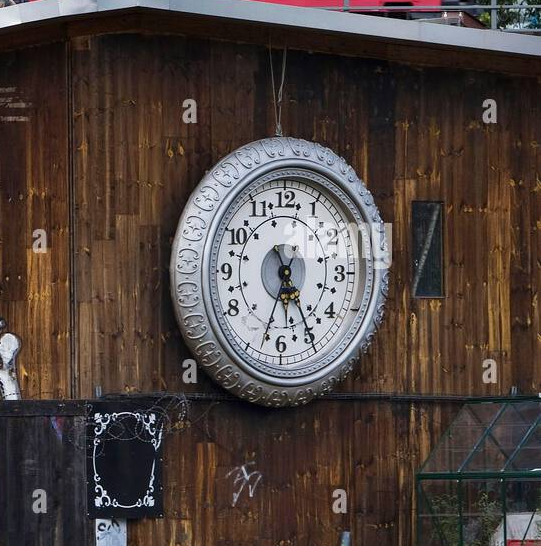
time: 6:25
